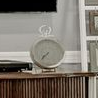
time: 7:36
